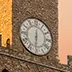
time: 6:31
